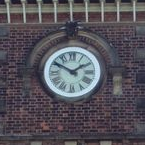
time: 1:50
